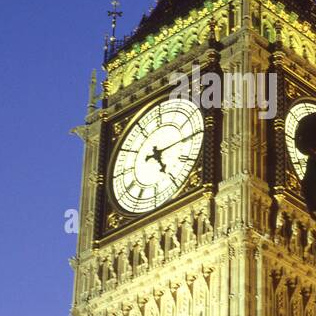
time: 5:14
